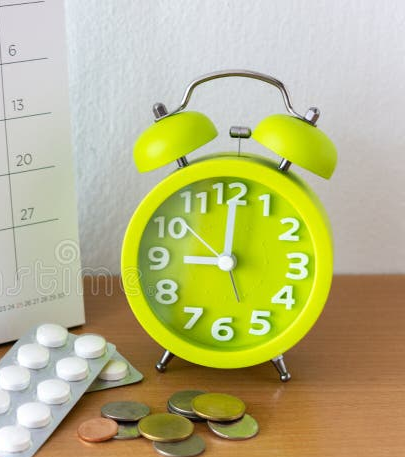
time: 9:00
